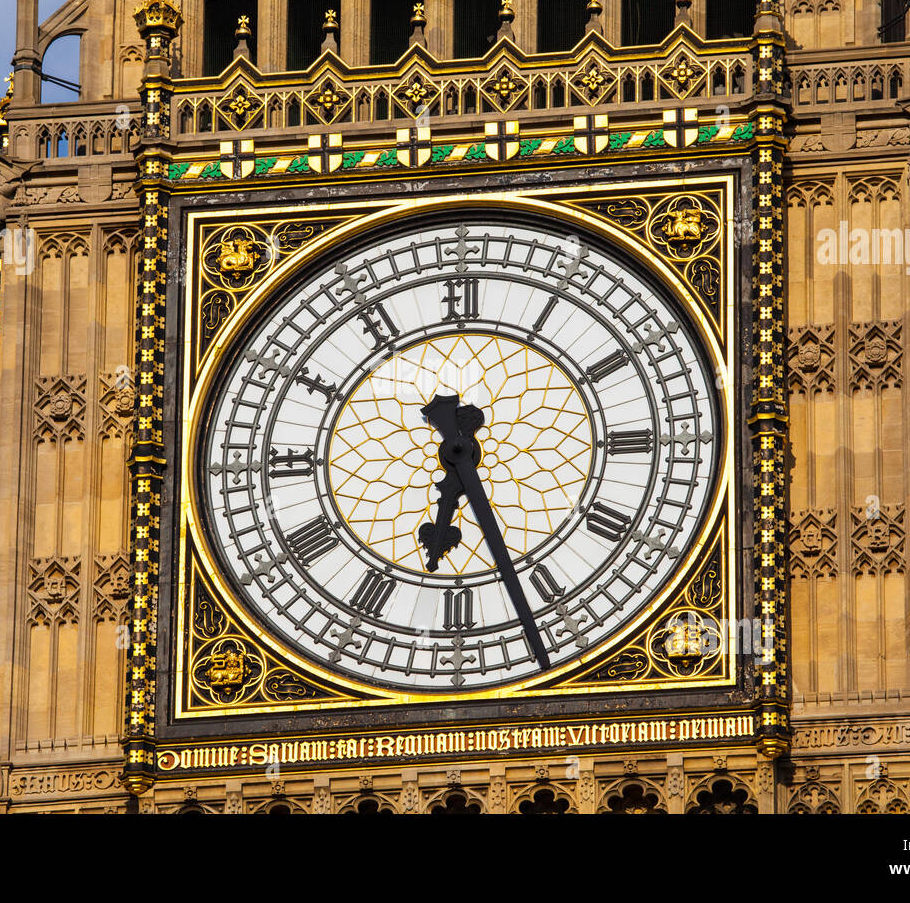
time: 6:26
